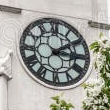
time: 3:09
